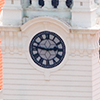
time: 2:46
